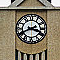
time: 3:40
